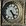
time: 4:26
